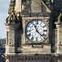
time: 11:22
